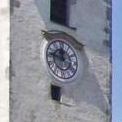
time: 11:46
